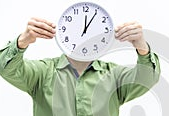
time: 12:05
